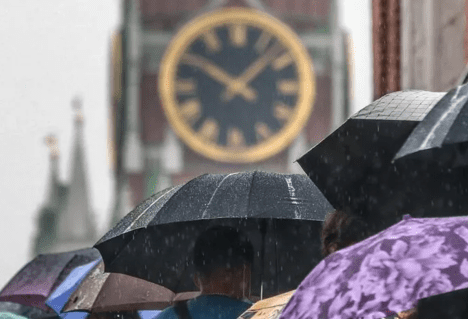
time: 10:07
